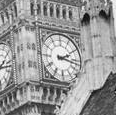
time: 2:16
